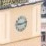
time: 9:12
